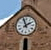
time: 1:56
